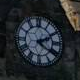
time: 2:21
